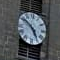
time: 4:50
